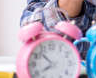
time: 7:52
